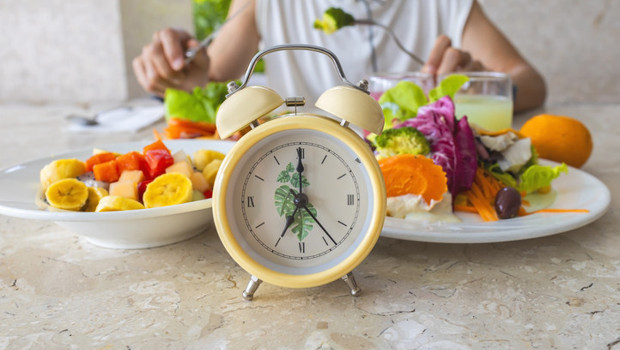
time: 7:00
